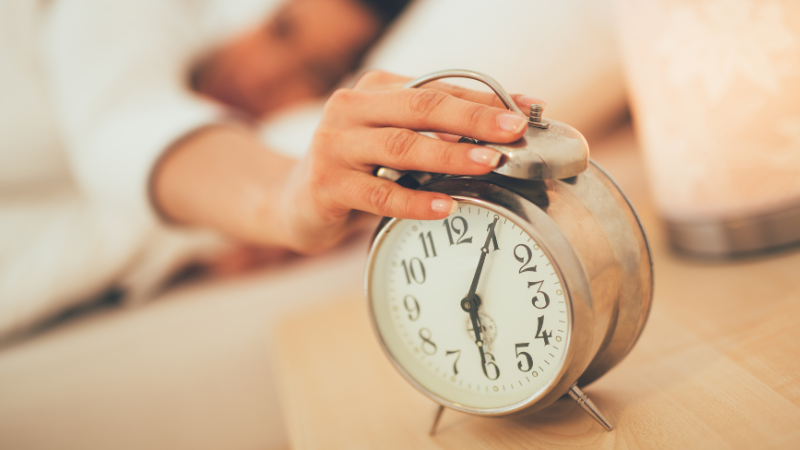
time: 6:05
